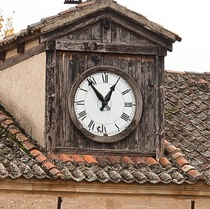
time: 12:53
